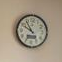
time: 9:54
